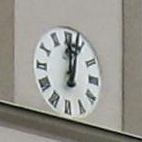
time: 12:02
